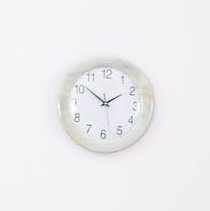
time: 1:51
